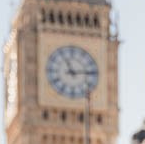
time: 11:13
